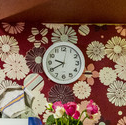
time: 9:40
